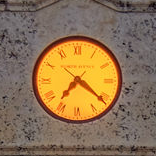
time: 7:21
